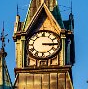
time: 3:14
